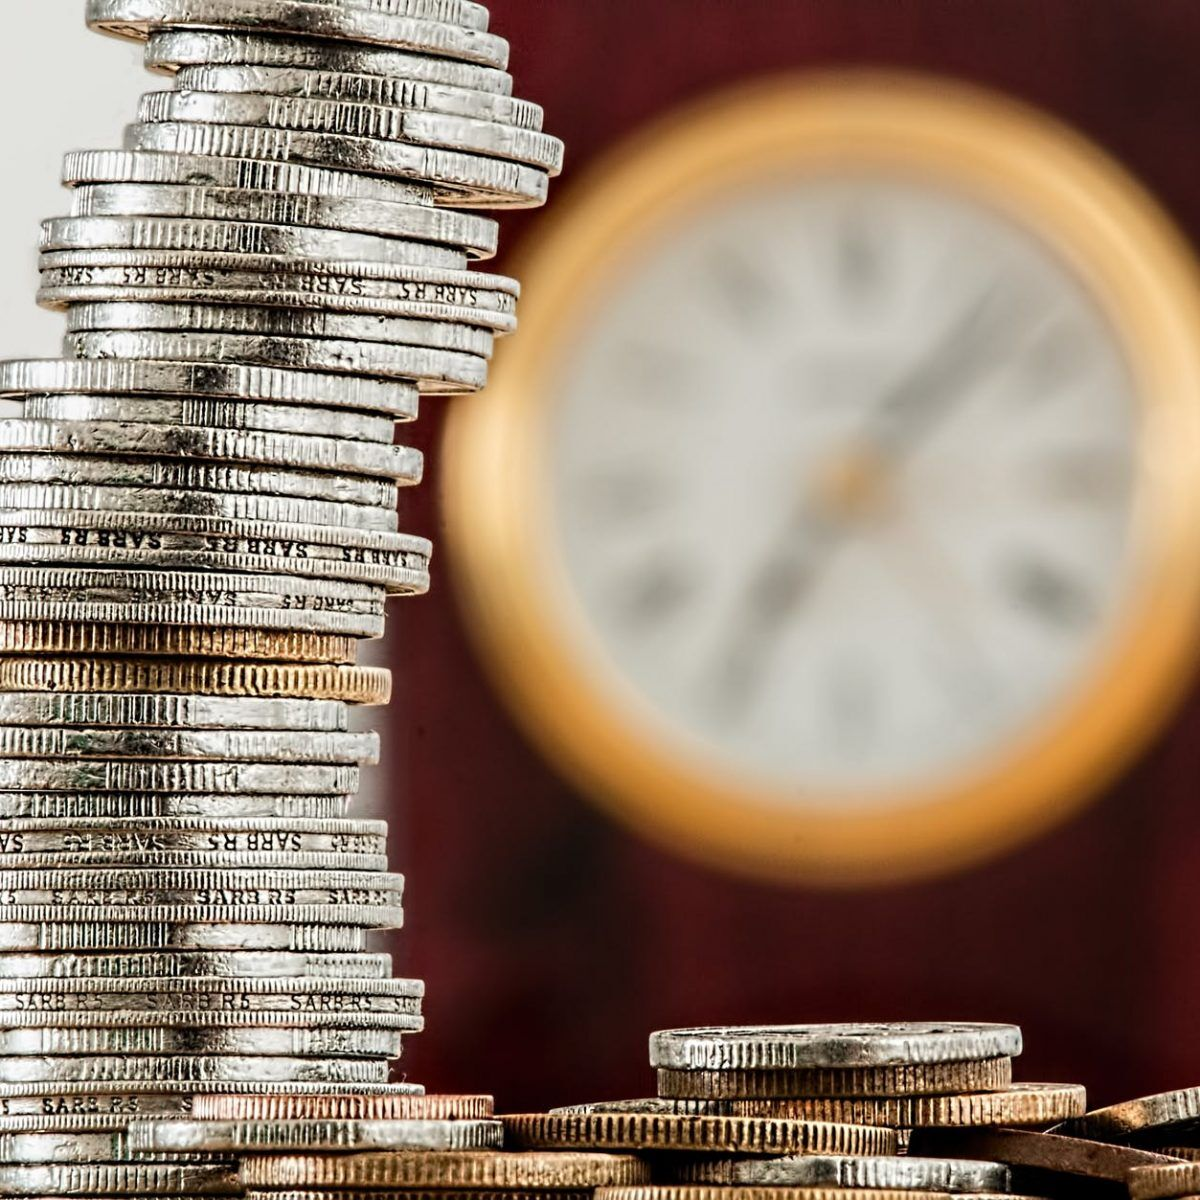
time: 7:07
